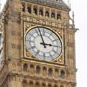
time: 2:57
